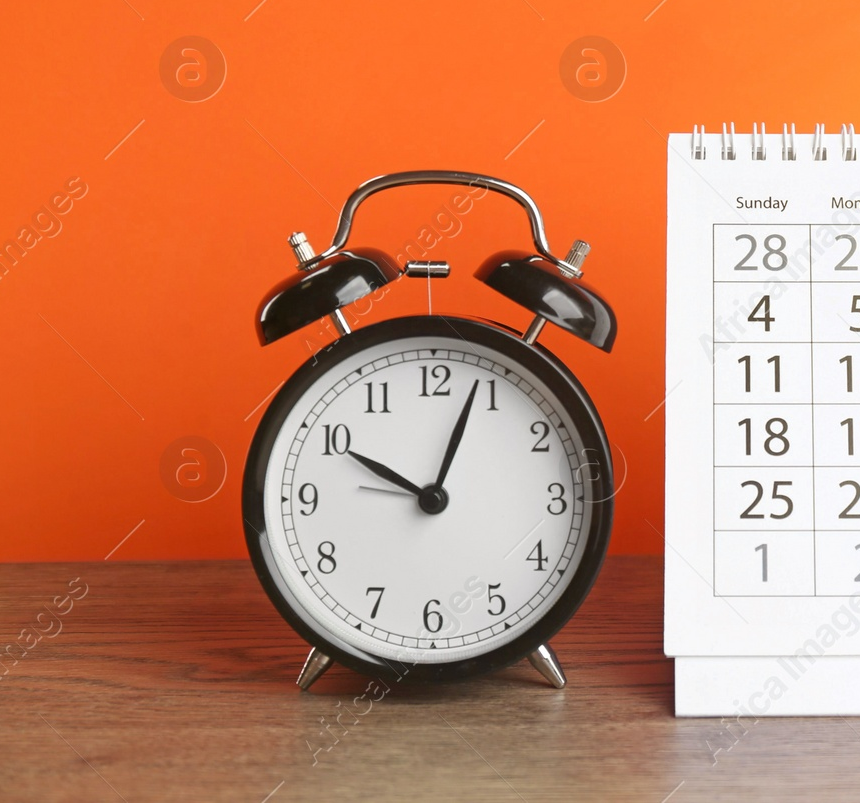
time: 10:03
